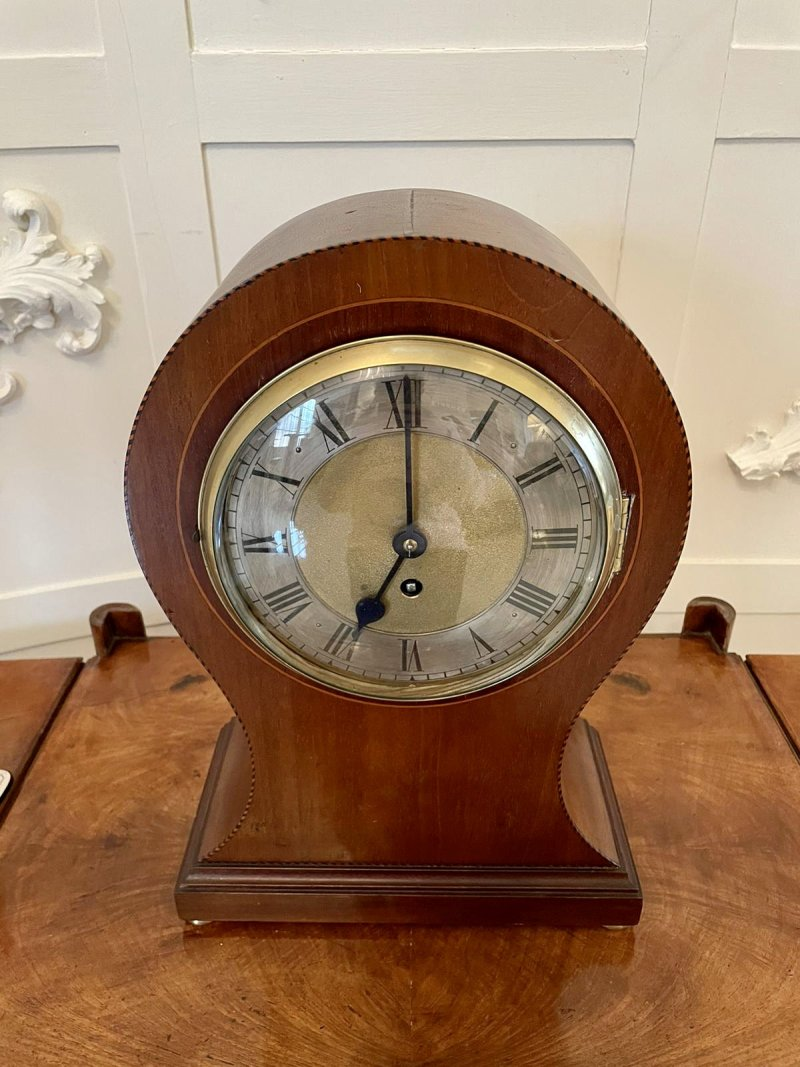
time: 7:00
